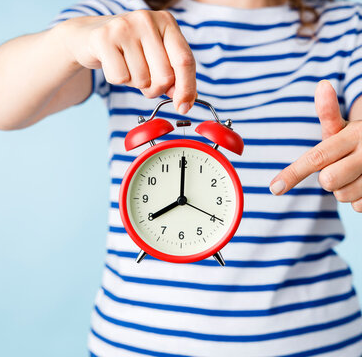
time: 8:00
